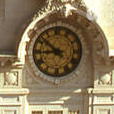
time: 8:51
